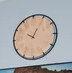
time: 10:05
